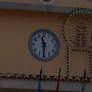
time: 11:31
